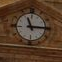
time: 11:14
